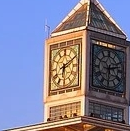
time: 6:10
